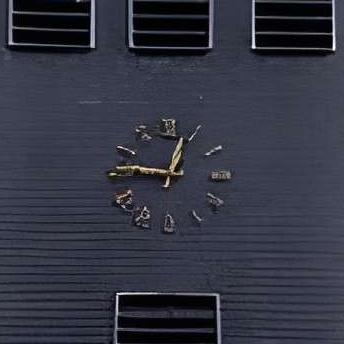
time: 12:46
